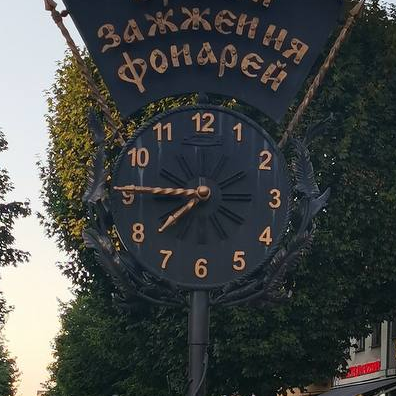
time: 7:45
